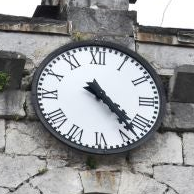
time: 4:23
